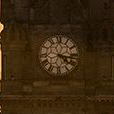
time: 4:16
